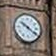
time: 10:21
